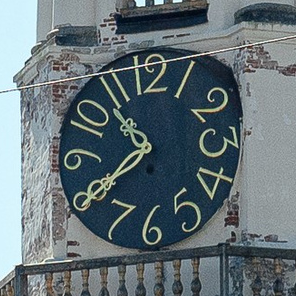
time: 10:39
